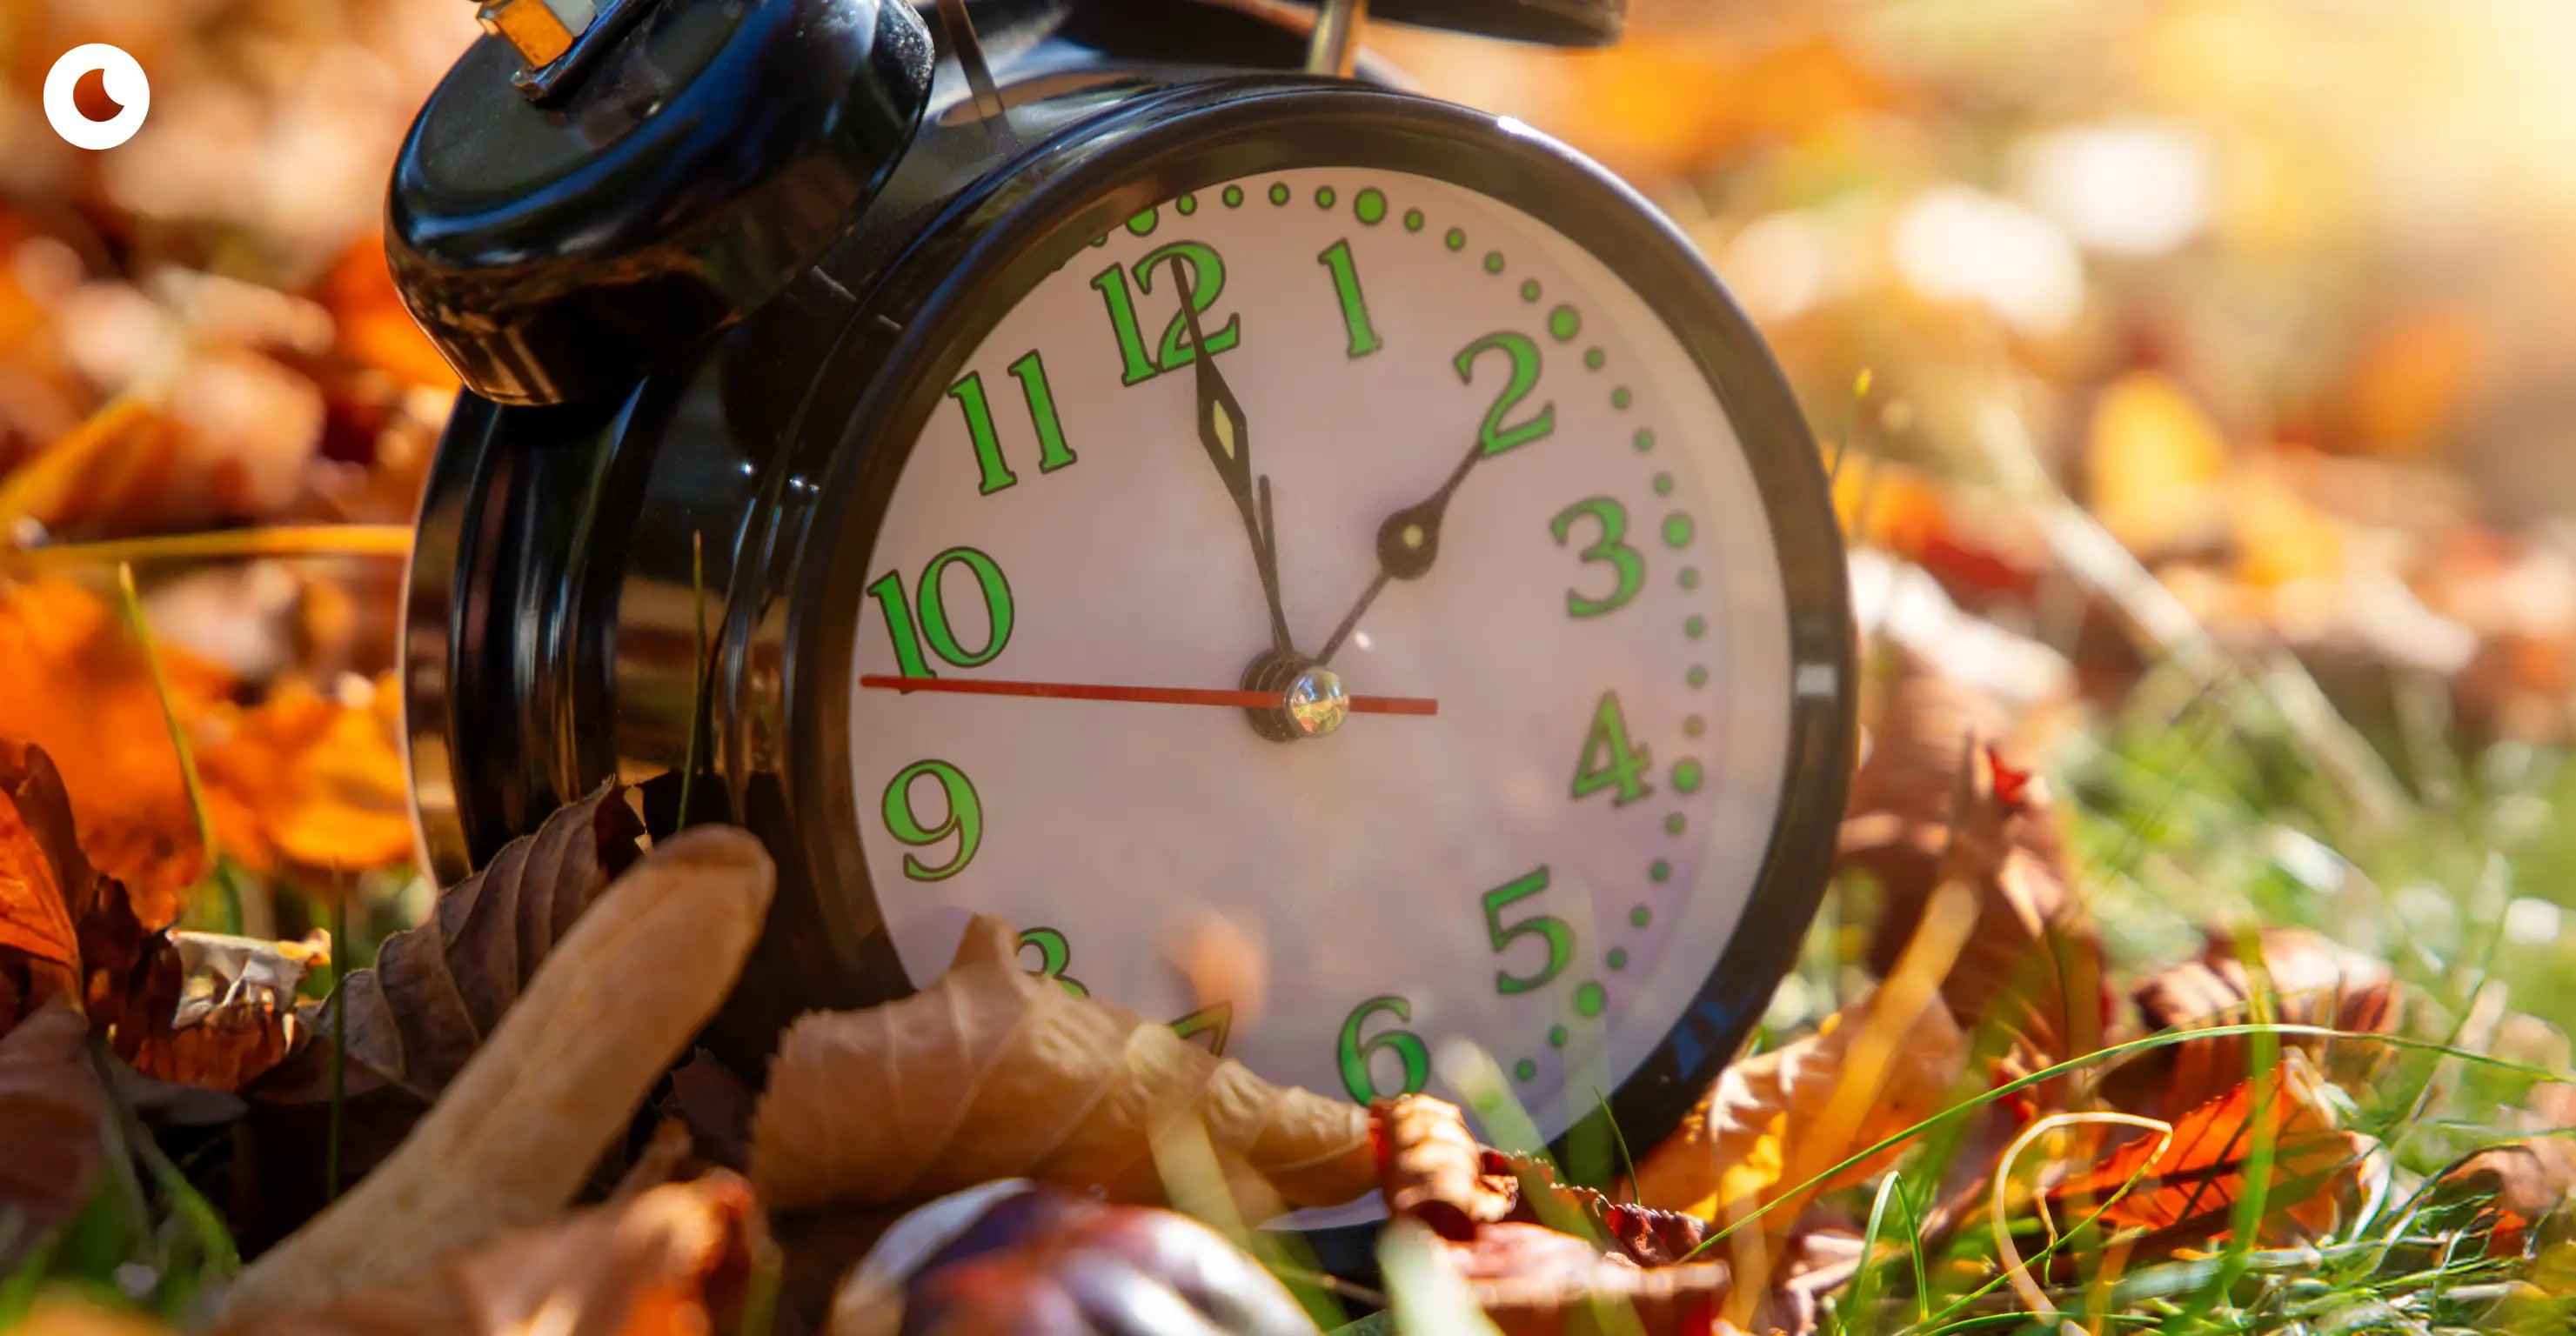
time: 2:00
